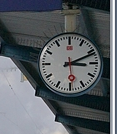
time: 3:11
